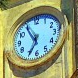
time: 6:54
